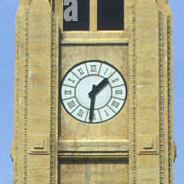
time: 1:31
